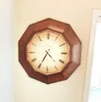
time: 4:34
